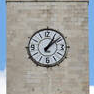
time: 1:08
